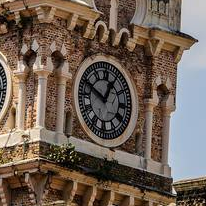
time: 12:49
